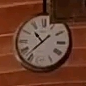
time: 10:37
